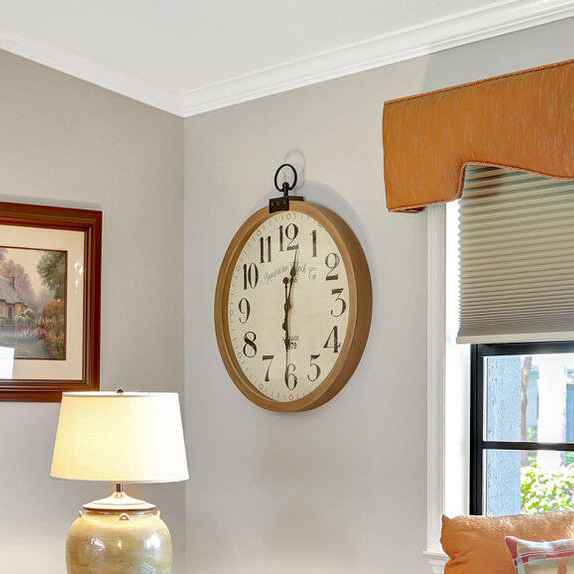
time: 12:30
